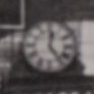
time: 12:23
